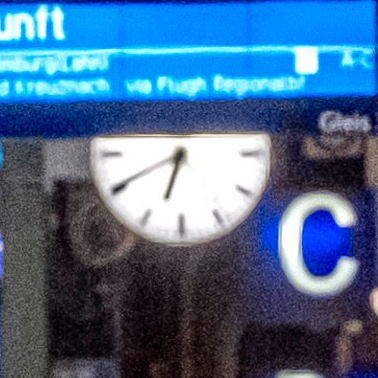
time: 6:40
